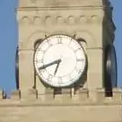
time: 6:41
